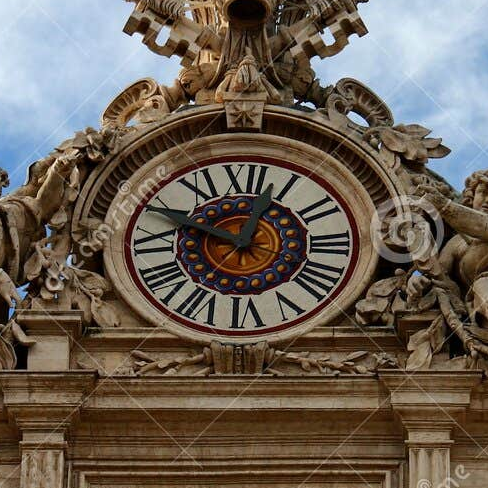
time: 12:49
